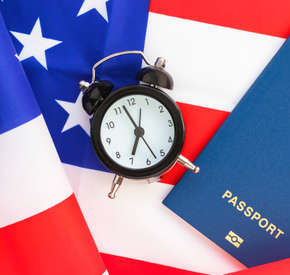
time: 6:57
